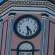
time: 4:28
